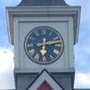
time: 6:13
